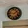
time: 1:46
